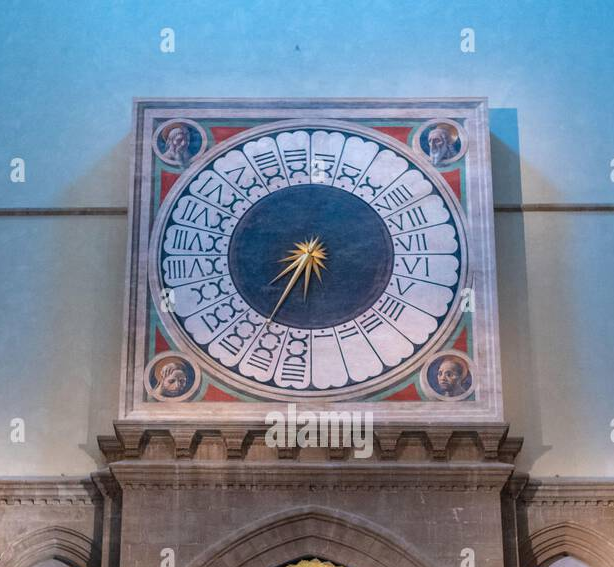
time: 7:34
